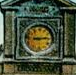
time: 9:14
